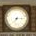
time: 7:15
